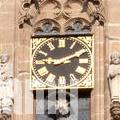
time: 9:10
